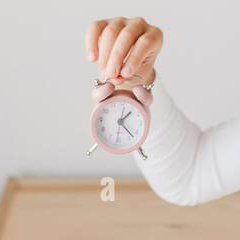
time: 1:22
